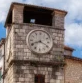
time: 8:19
